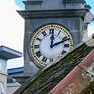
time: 12:11
